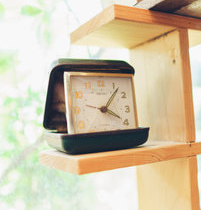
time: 4:06
